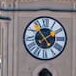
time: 1:53
